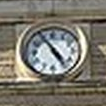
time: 4:54
